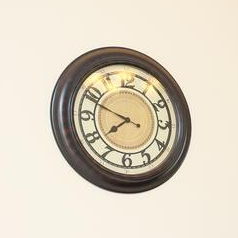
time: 7:48
